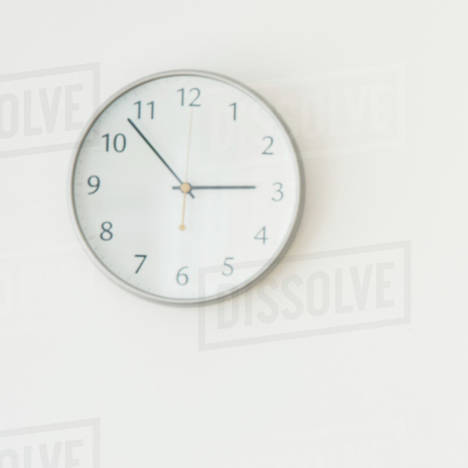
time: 2:53
